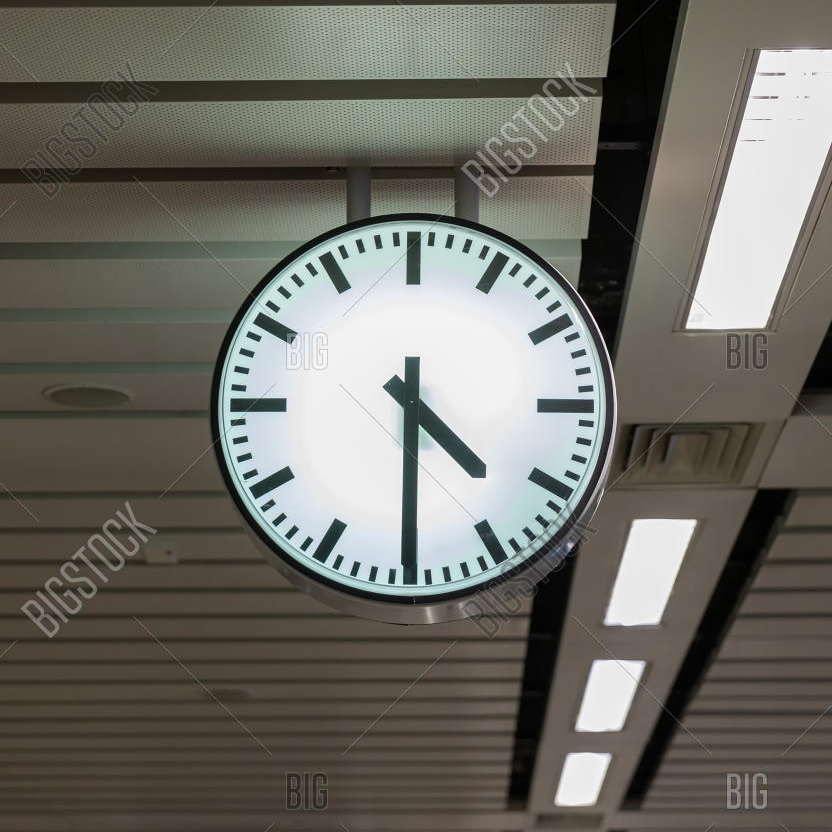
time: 4:30
